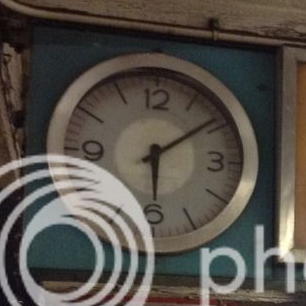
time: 6:08
